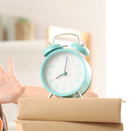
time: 8:01
